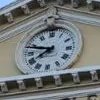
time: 7:48
